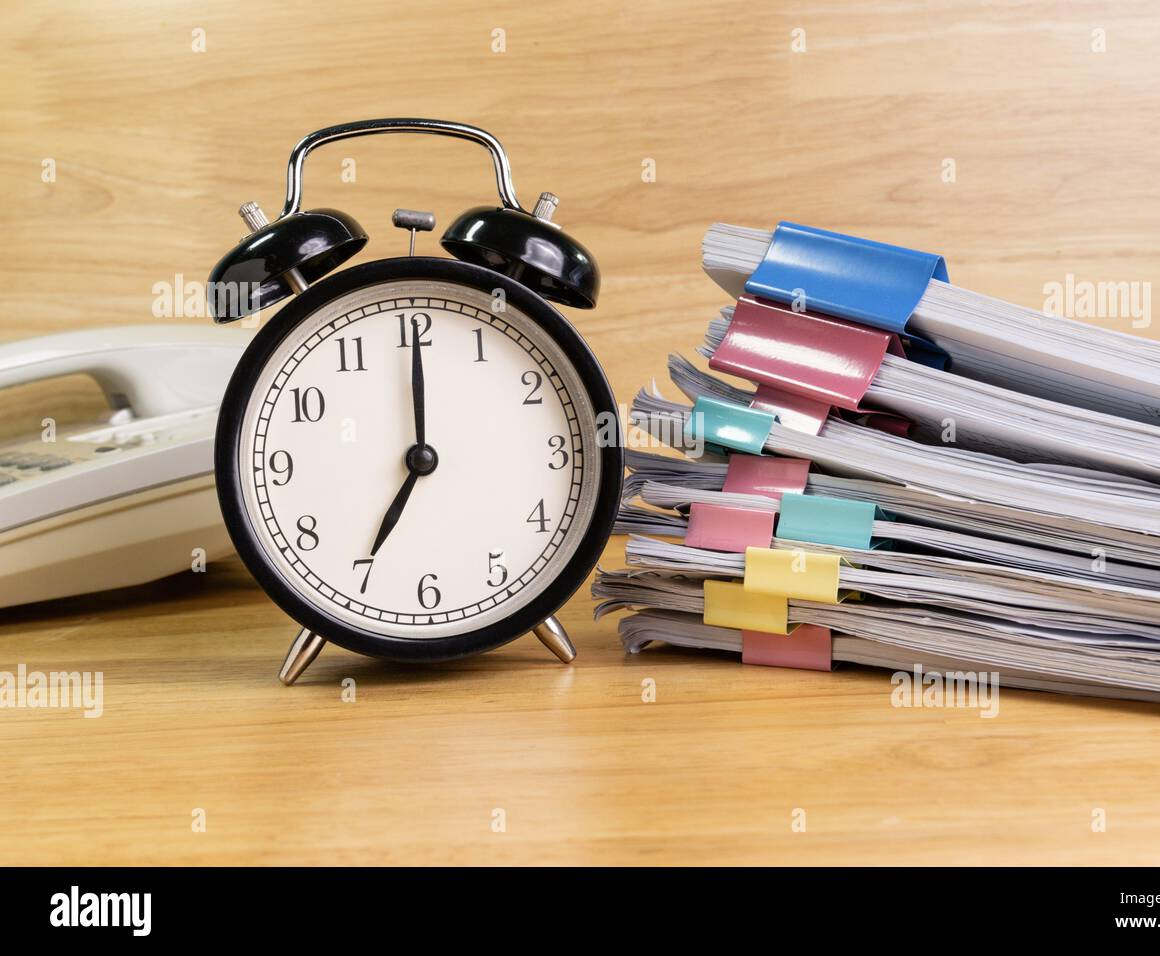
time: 7:00
